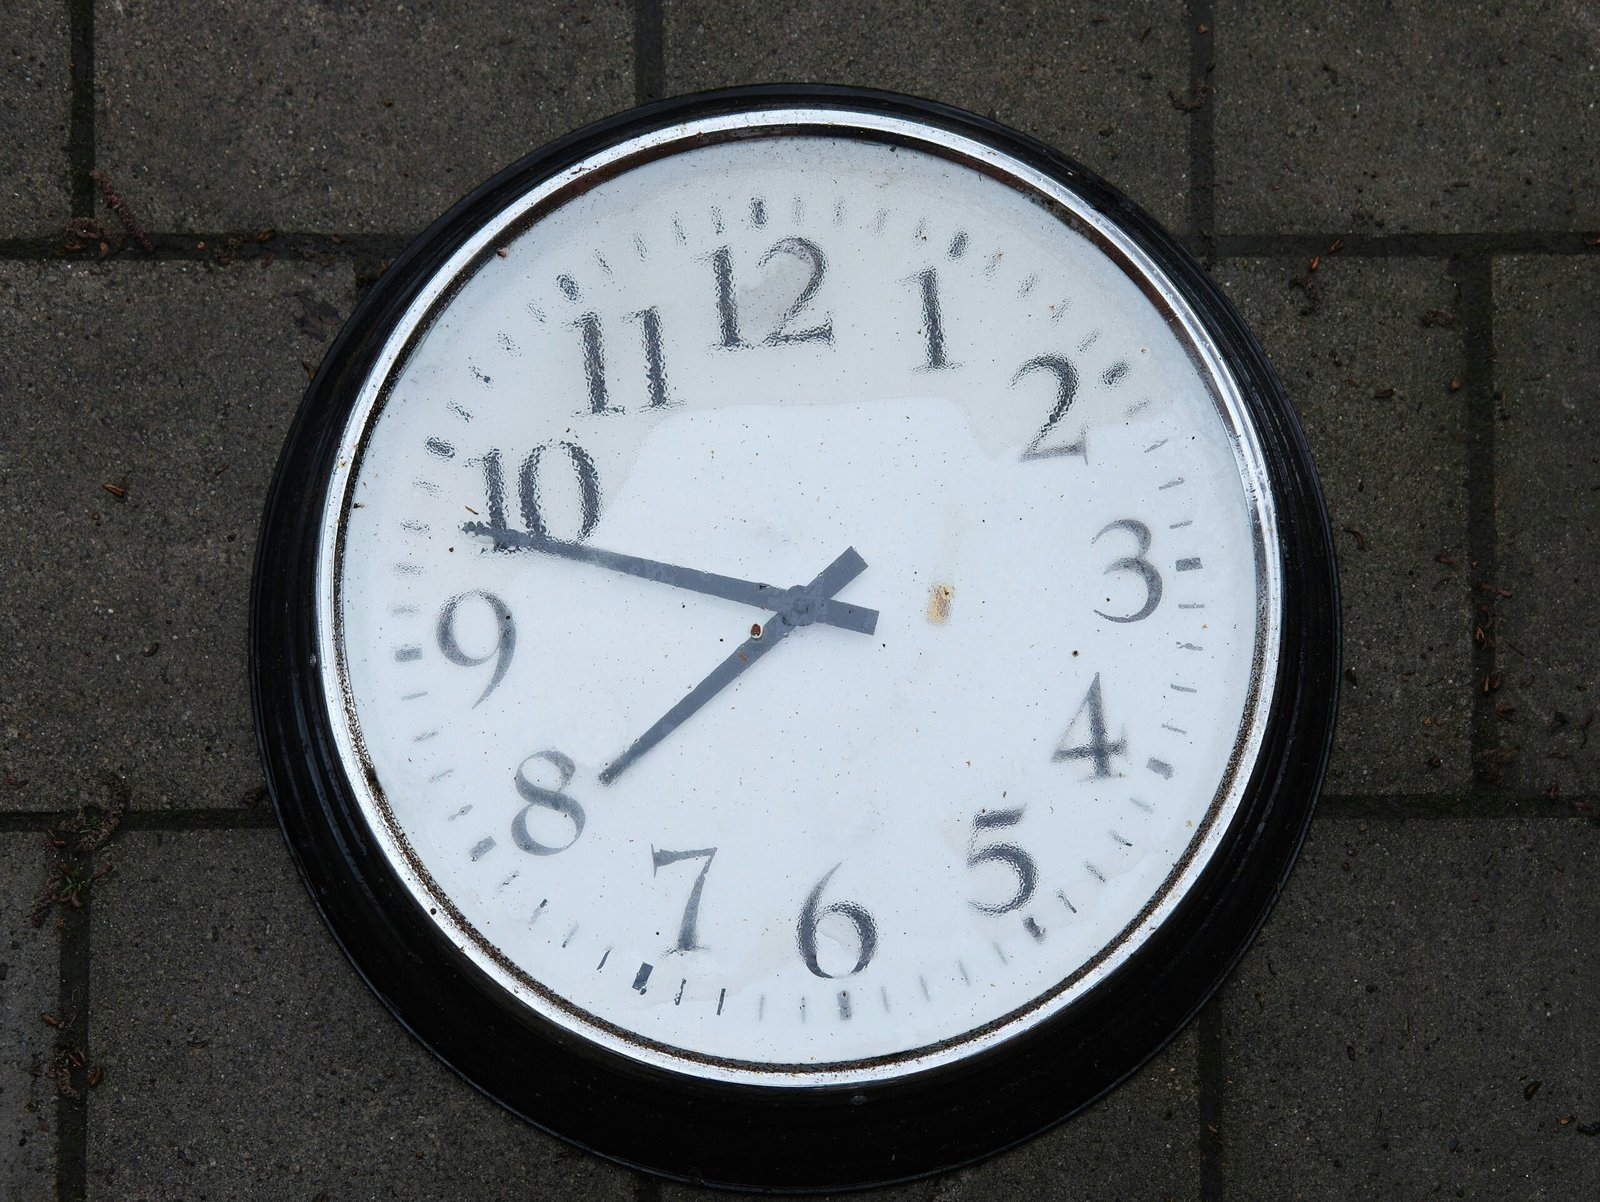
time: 7:48
